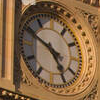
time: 4:49
